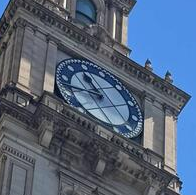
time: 10:42
